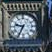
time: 9:34
